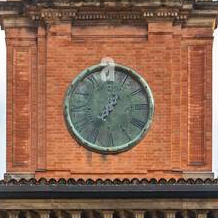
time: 12:36
